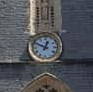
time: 12:49
